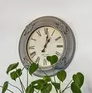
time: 1:01
